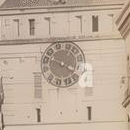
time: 3:48
